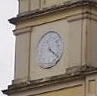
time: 4:21
